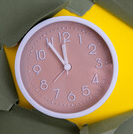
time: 11:54
